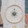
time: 9:01
